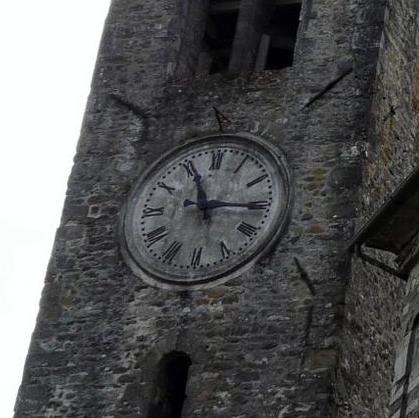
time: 11:15
